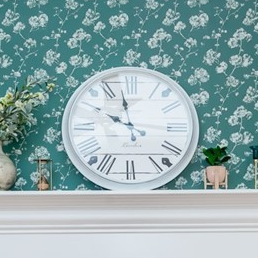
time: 9:57
